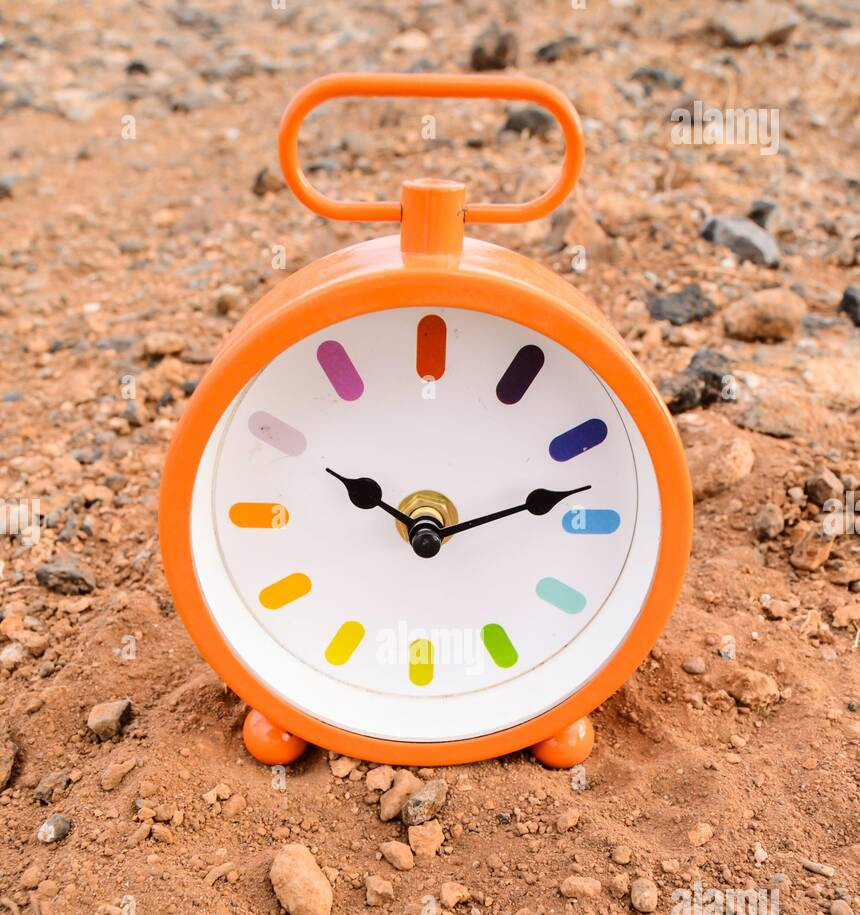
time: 10:12
